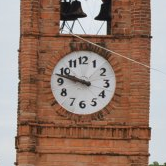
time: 9:47
